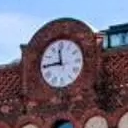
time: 11:44
